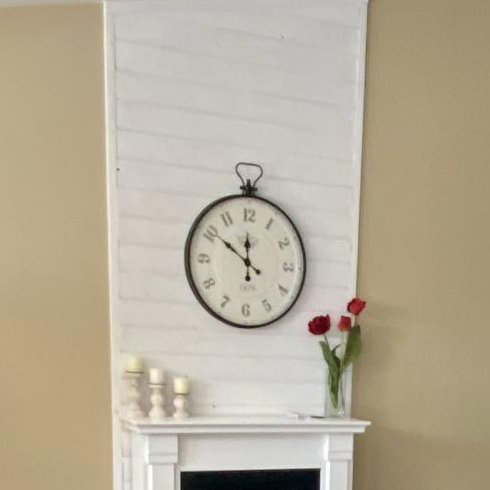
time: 11:50
